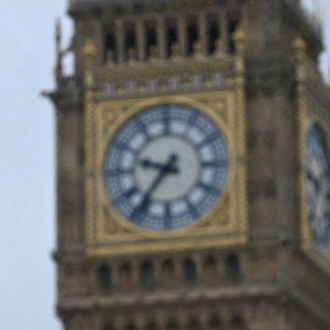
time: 9:36
